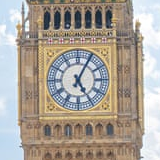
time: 5:04
